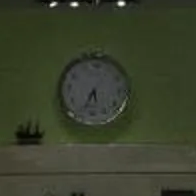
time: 5:34
